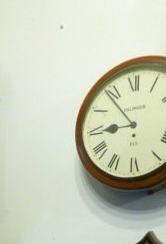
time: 8:53
